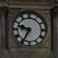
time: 9:35
